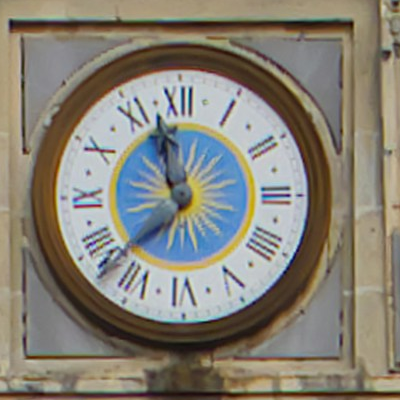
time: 11:37
